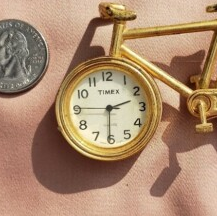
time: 2:30
